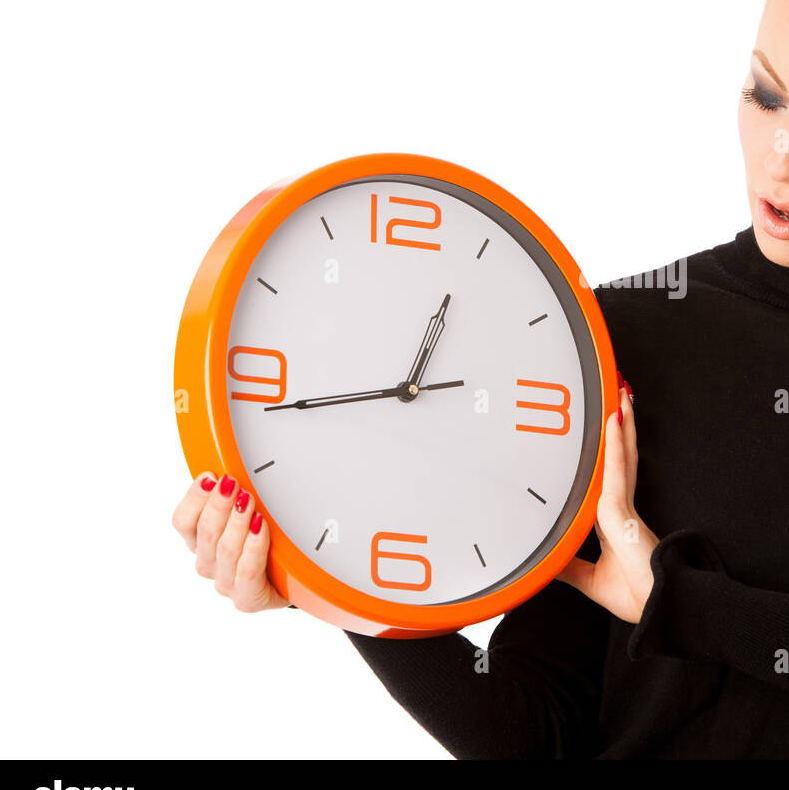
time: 12:43
